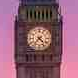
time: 4:36
